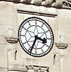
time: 3:33
